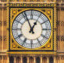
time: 12:56
